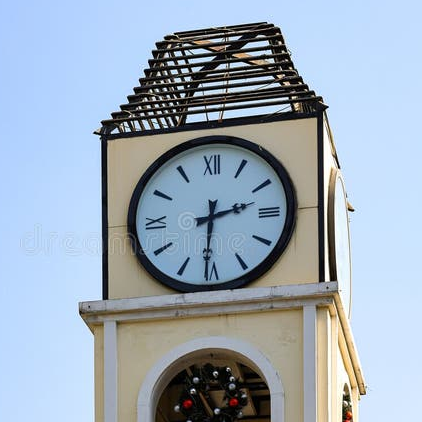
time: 2:30
